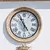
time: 4:55
